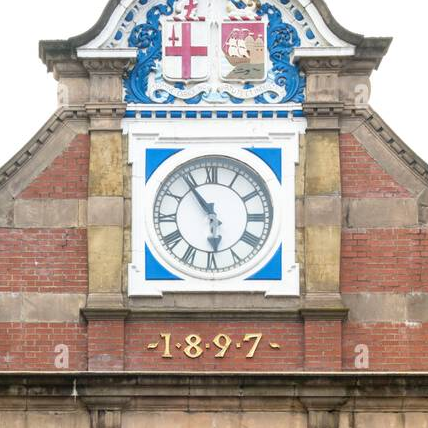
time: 5:54
